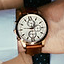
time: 12:46
